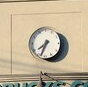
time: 7:33
